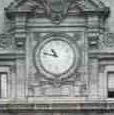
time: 10:47
